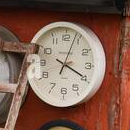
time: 4:03
